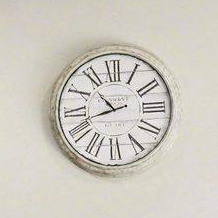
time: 10:42
